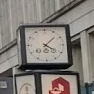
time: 4:07
